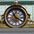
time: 11:19
